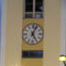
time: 5:03
